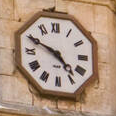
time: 4:49
